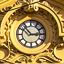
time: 2:53
